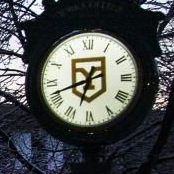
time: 6:41
